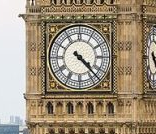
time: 4:22
